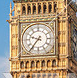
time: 9:36
